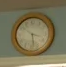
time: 3:28
